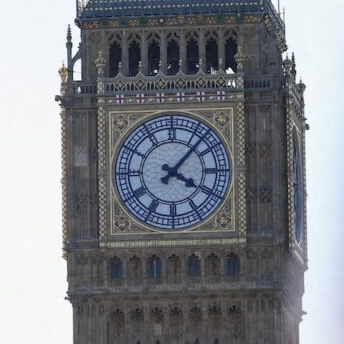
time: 4:07
